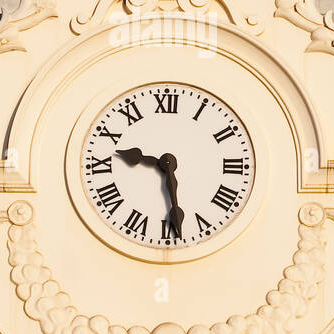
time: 9:28
